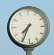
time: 7:34
